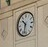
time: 10:32
